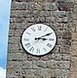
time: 3:10
